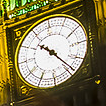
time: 10:23
